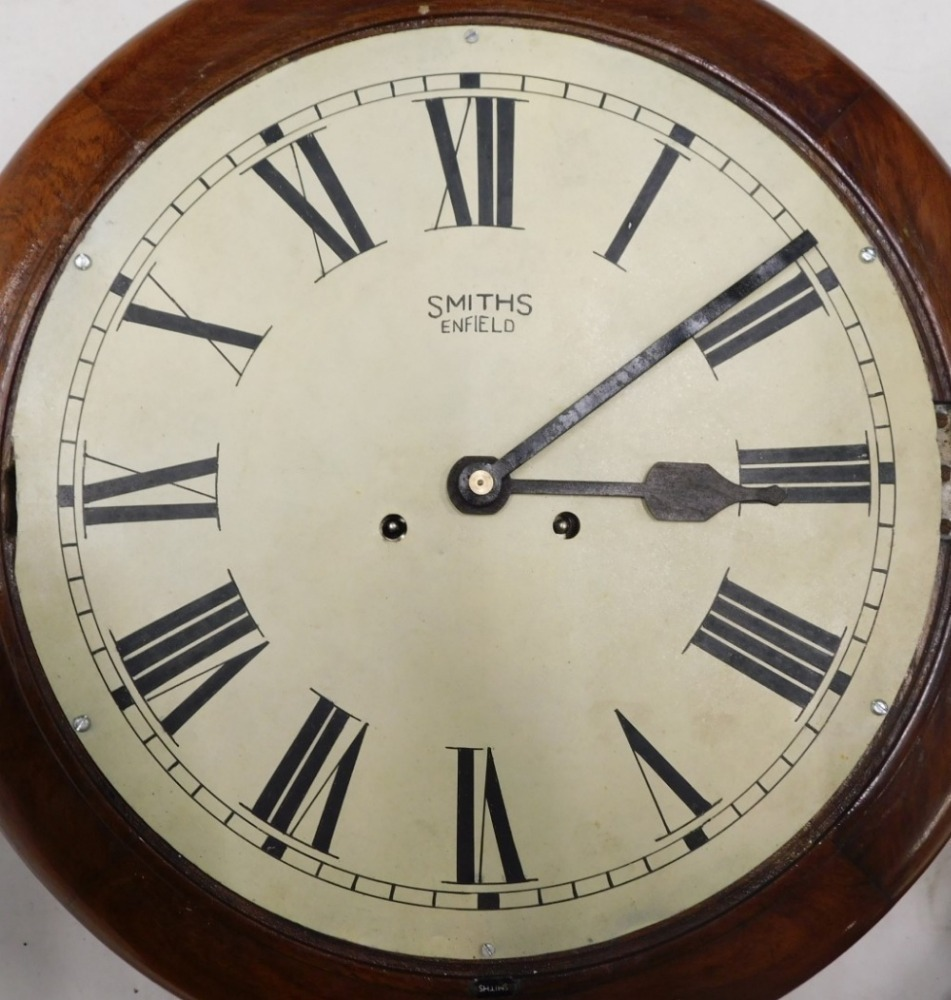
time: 3:09
